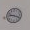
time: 9:18
